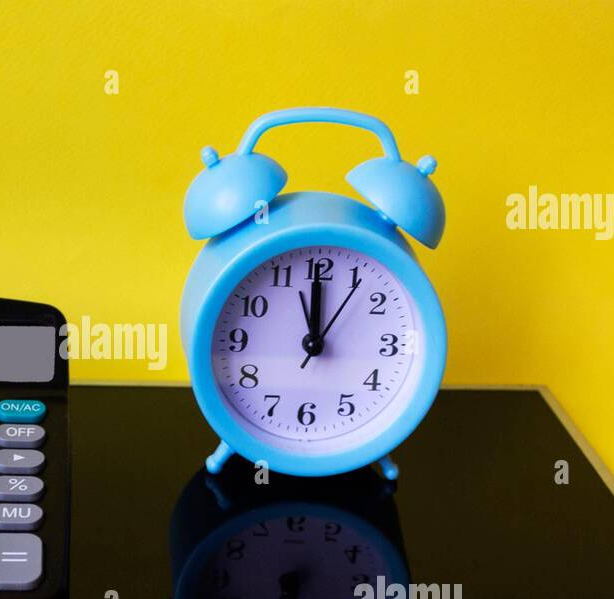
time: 11:59
